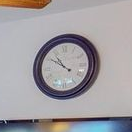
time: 10:50
